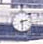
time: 2:29
